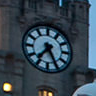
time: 7:25
